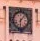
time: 6:06
